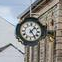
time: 1:24
